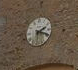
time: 2:18
